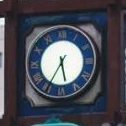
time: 5:35
